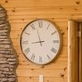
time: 8:57
